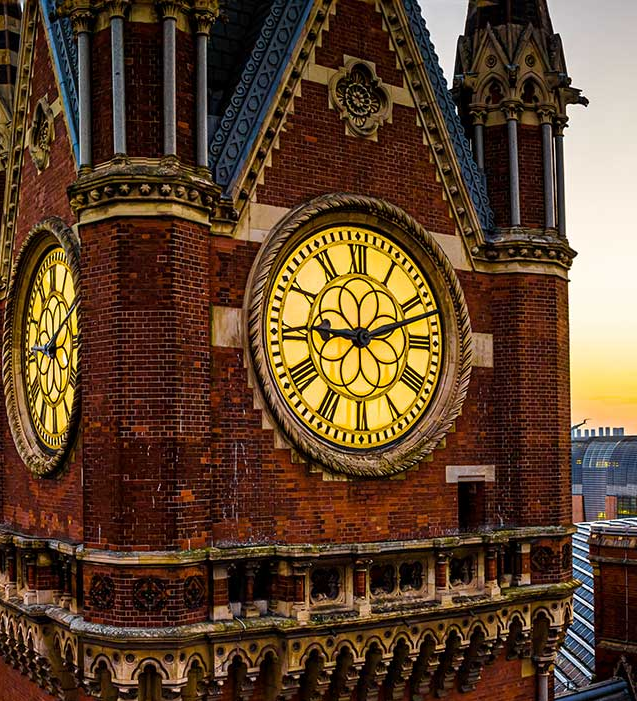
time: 9:11
